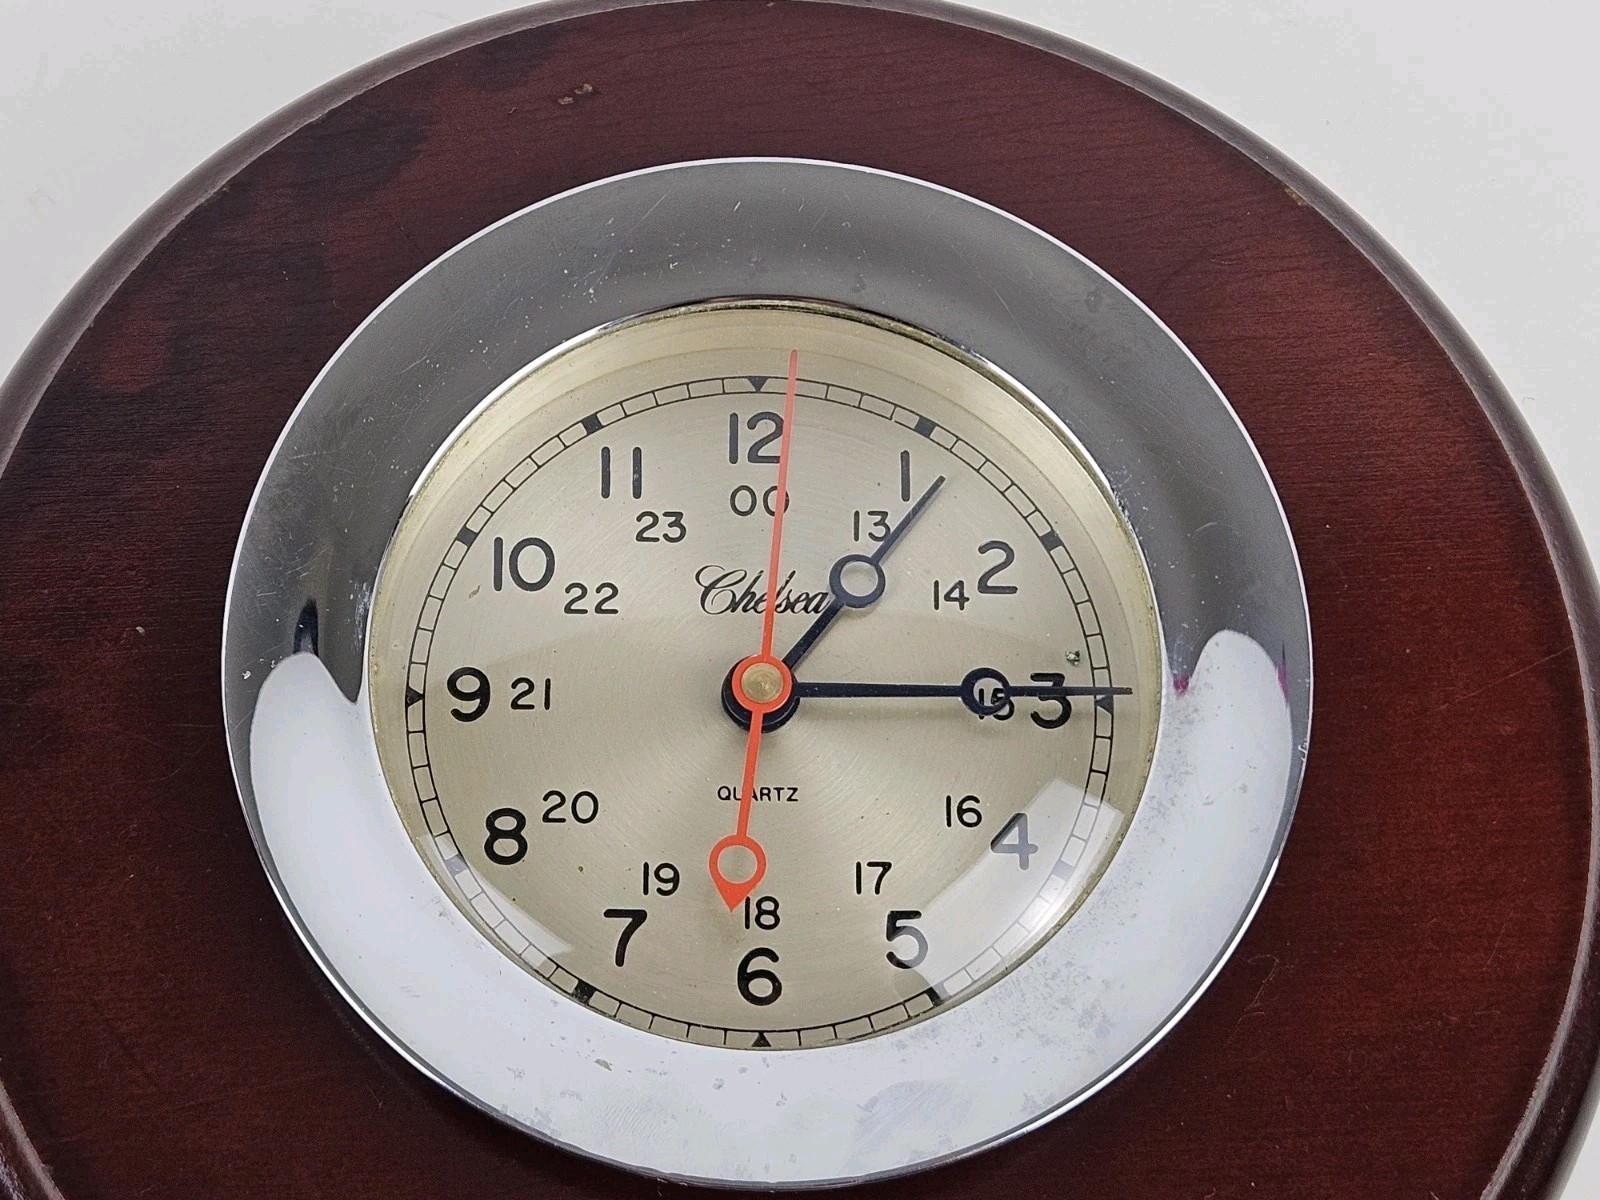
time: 1:14
